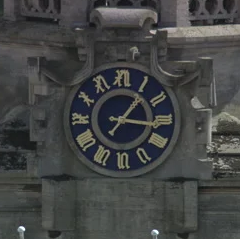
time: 1:16
